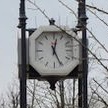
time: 12:25
